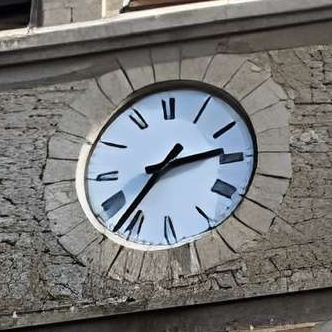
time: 2:36
